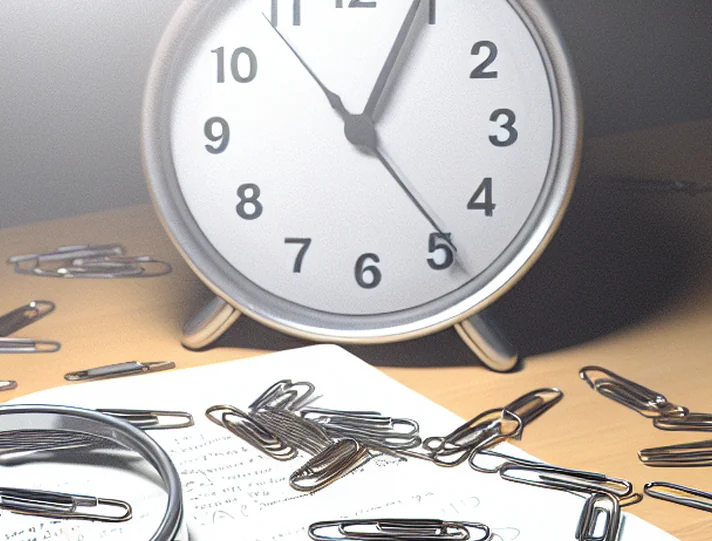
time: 1:04
